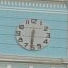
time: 6:31
